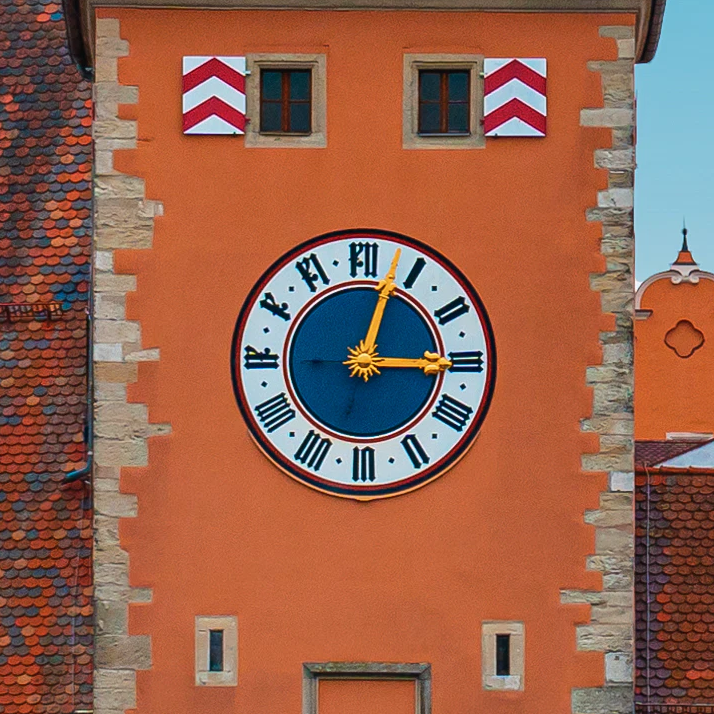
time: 3:03
